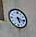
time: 5:16
